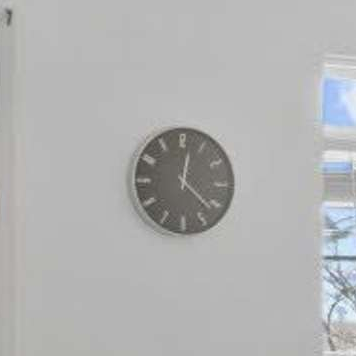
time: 12:22
